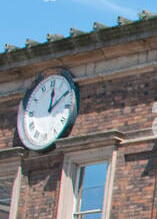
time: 12:09
